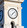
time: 7:07
